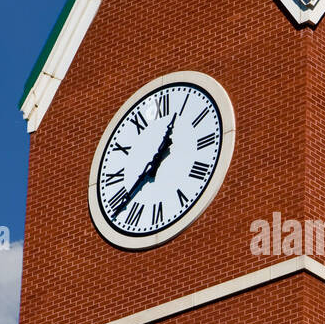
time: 12:38
